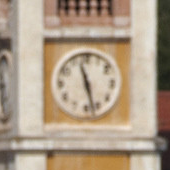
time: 11:27
